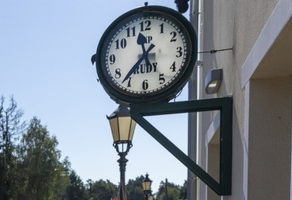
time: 11:36
